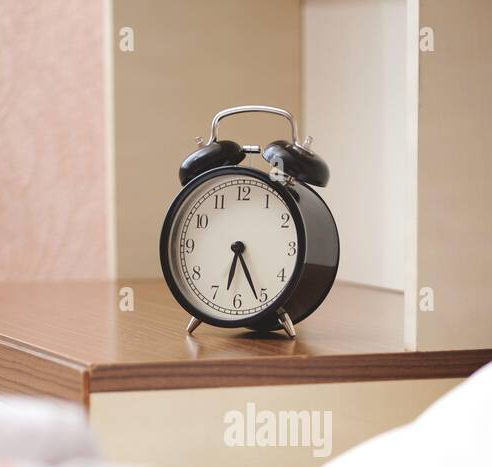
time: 6:26
